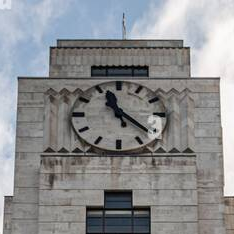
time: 11:21
